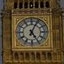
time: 5:04
